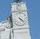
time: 4:22
